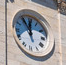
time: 11:54
